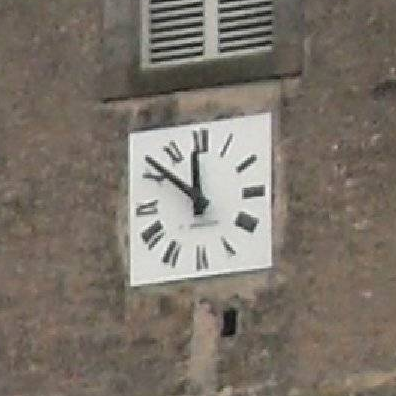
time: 11:51
